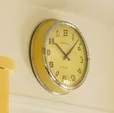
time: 10:07
